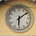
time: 6:08
